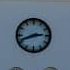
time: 2:41
